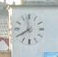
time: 7:58
